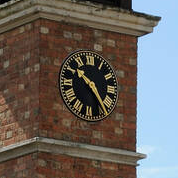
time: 10:24
